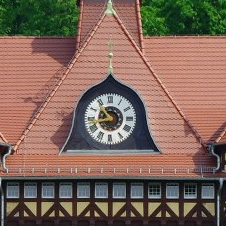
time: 10:42
